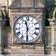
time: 11:30
